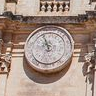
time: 10:56
